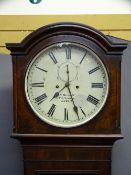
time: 7:26
